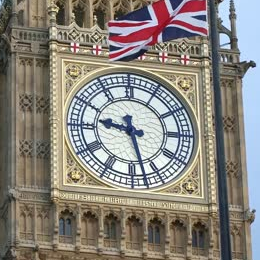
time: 9:27
